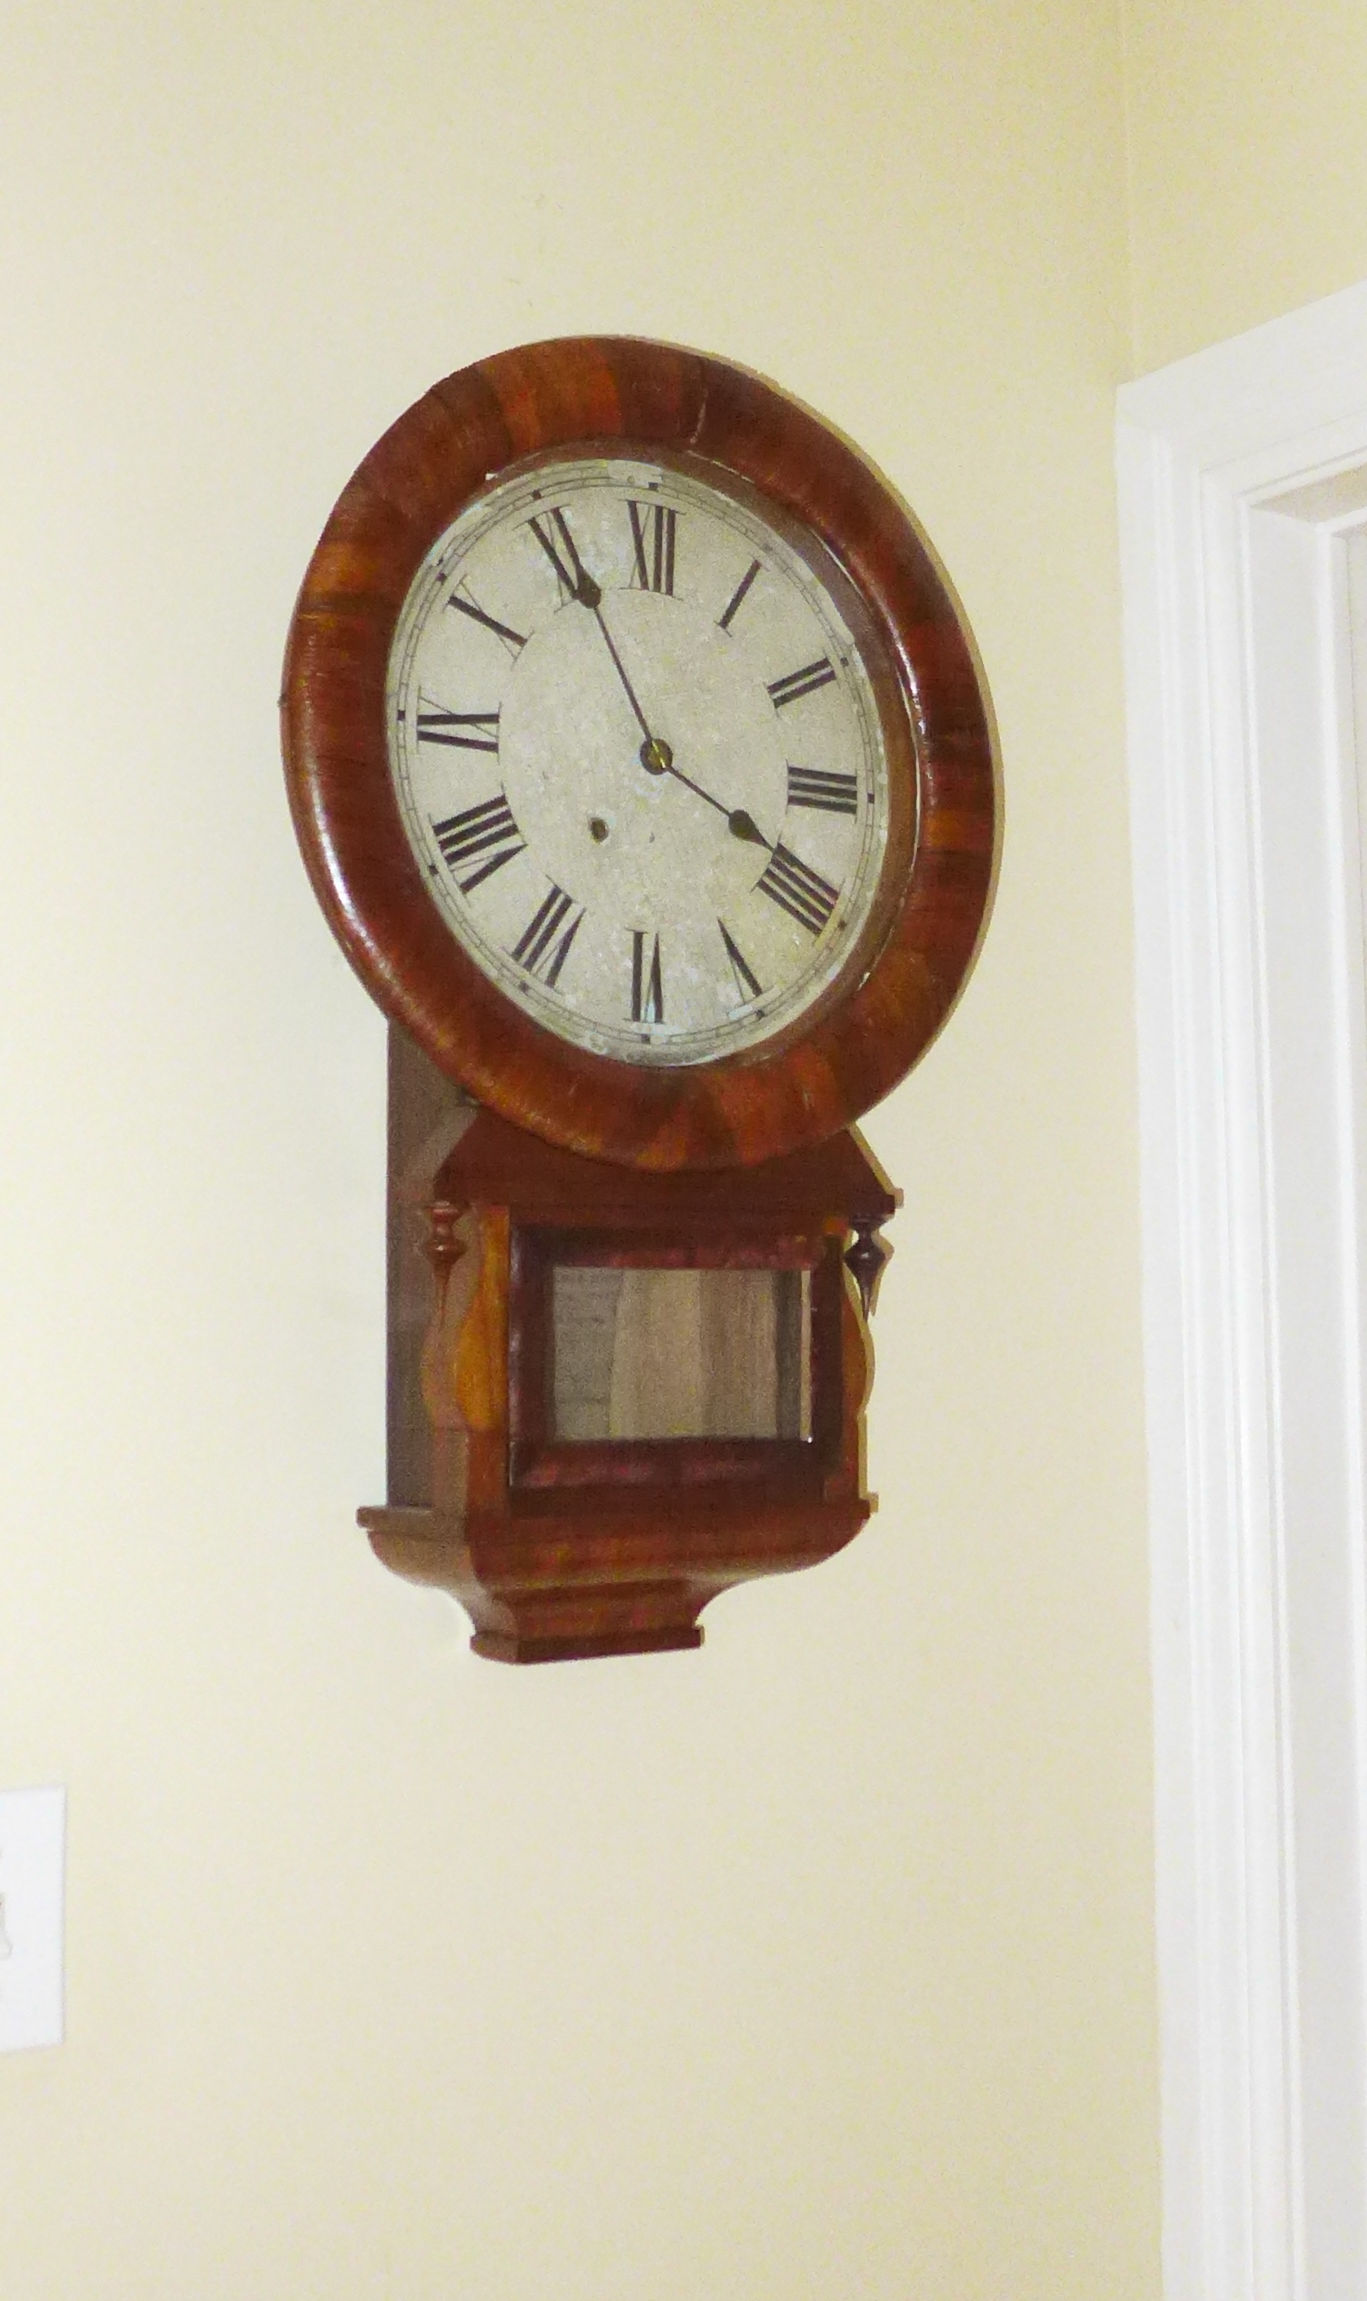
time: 3:55
